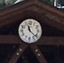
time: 11:21
